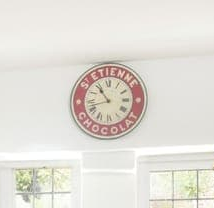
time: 10:42
